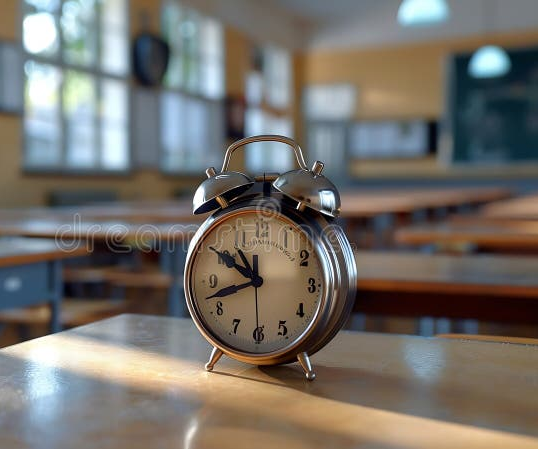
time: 10:42
